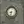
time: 8:32
